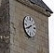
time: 7:40
